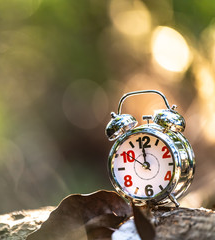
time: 11:50
